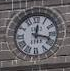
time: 12:17
